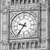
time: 9:36
